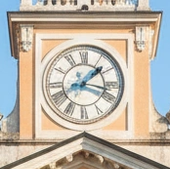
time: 1:18
